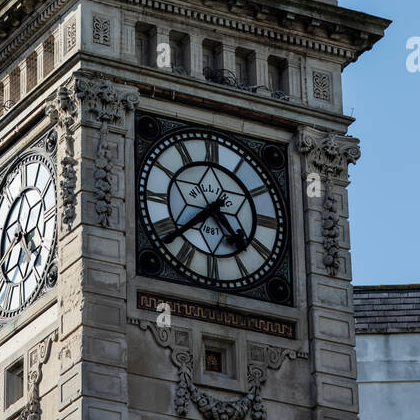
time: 4:37
